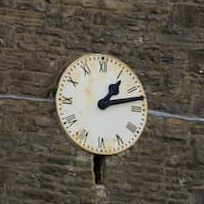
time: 1:12
